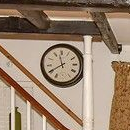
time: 11:40
